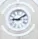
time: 9:09
